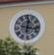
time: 12:16
